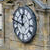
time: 11:46
